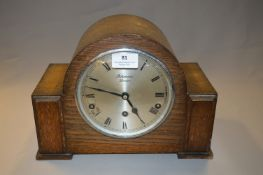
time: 4:47
